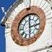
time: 2:59
